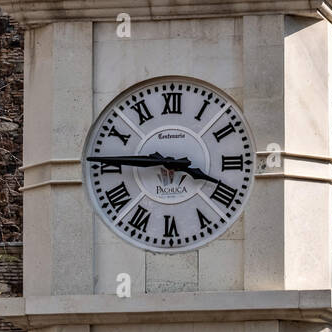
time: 3:45
